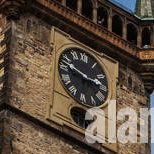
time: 2:48
